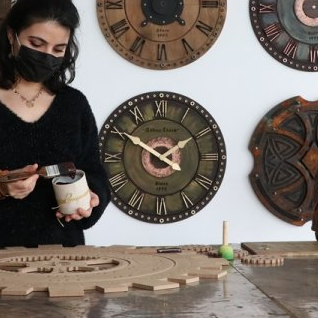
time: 1:50
